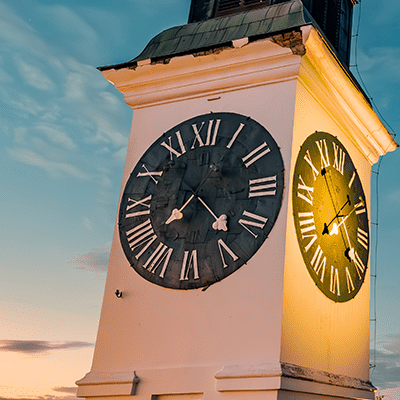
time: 7:22
